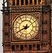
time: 6:40
